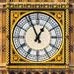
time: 12:56
